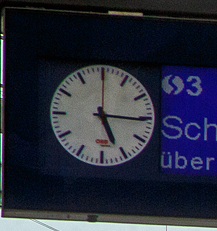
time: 5:15
